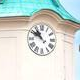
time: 10:50
